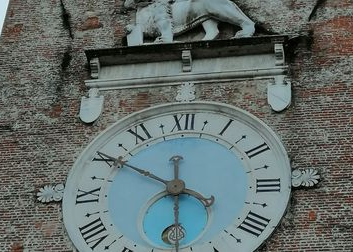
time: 5:49
